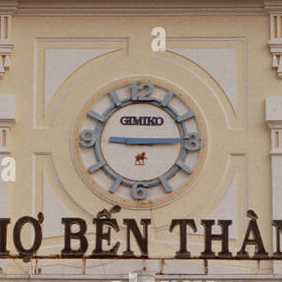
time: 9:14
